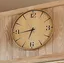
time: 6:43
